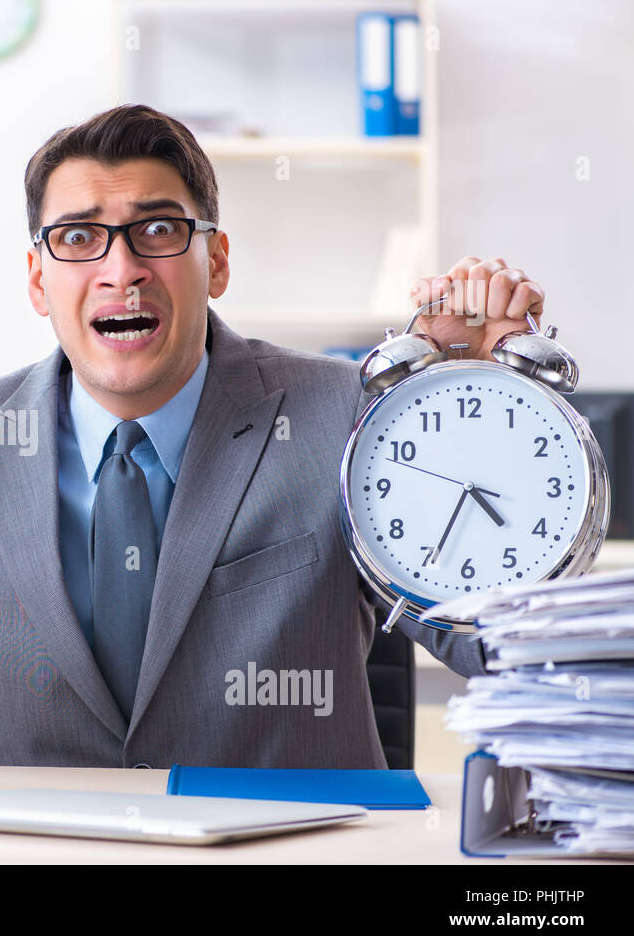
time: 4:34
